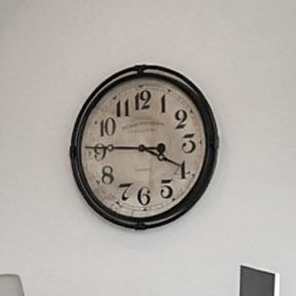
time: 3:45
